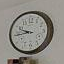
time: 9:44
